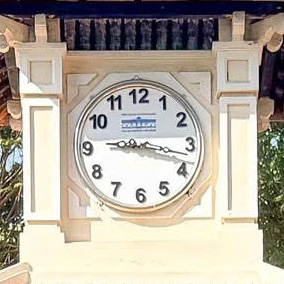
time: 9:17
